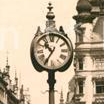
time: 10:35
